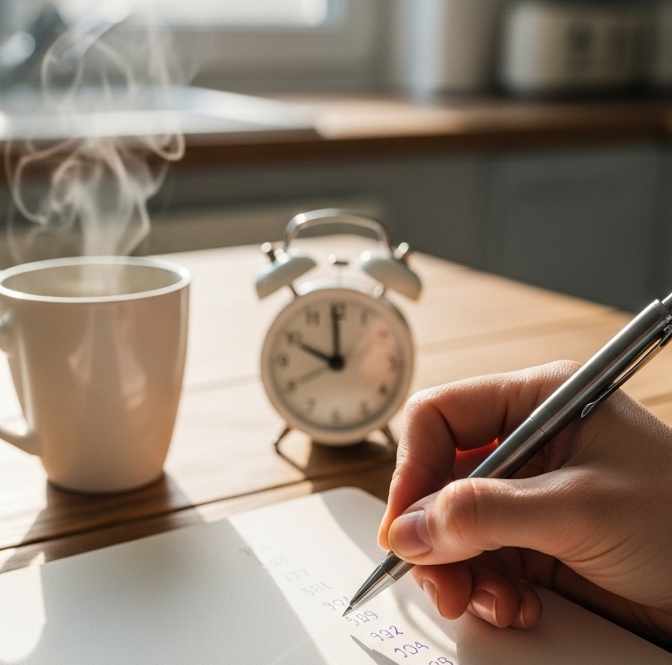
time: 9:59
